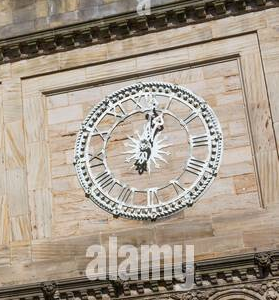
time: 1:02
